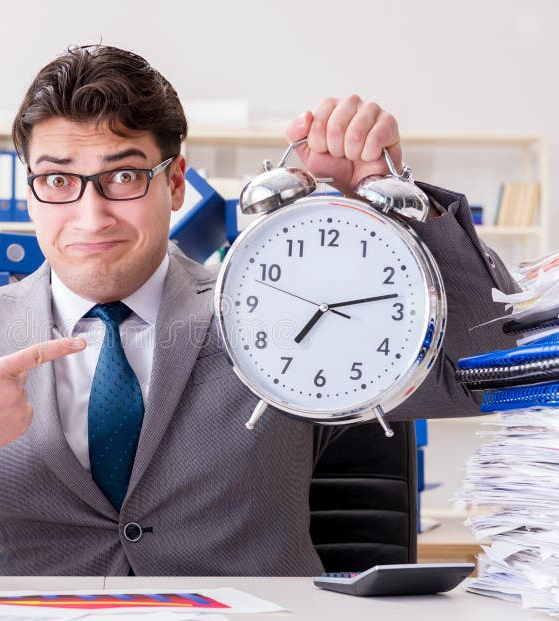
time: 7:13
